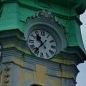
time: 10:36
